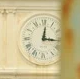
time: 12:15
